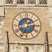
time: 1:34
